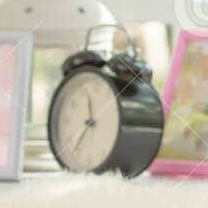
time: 11:35
